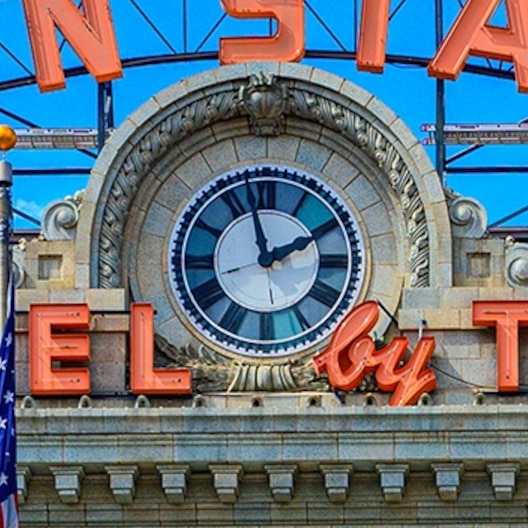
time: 1:57
